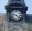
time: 9:22
